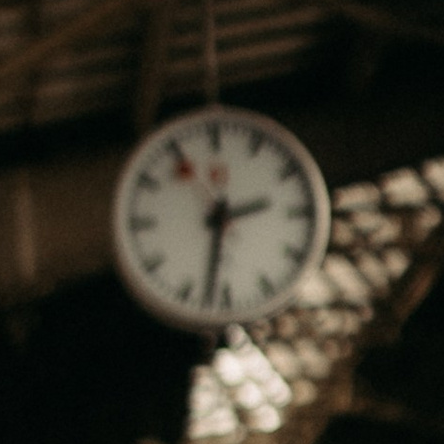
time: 2:32
